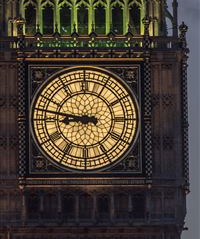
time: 8:46
